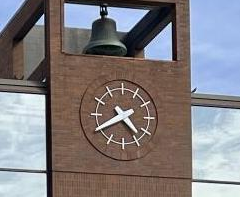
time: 4:40
